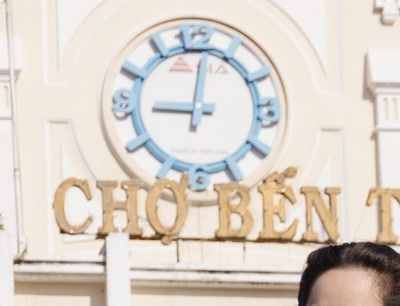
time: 9:01
